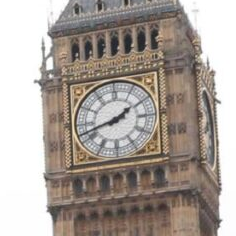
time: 1:42
